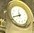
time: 11:41
